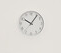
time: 10:06
